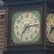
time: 7:13
